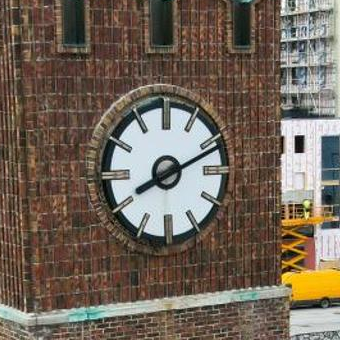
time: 8:11
